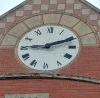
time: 9:11
